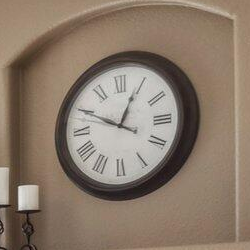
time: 12:49
